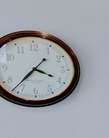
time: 3:36
